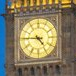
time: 4:45
